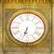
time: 6:33
